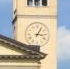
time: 3:04
